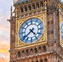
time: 4:38
